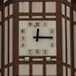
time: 12:14
